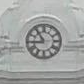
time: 8:54
